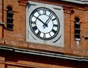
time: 10:06
